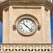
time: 10:22
